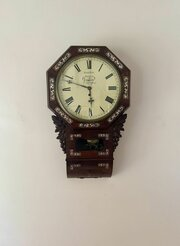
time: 5:48
